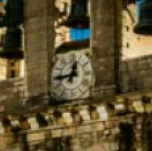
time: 12:43
